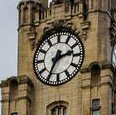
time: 2:34
